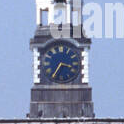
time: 3:35
